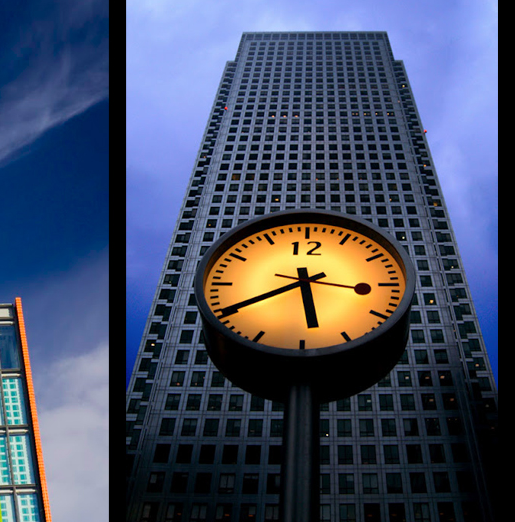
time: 5:40
